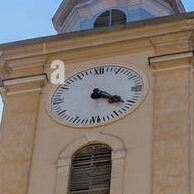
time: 4:20
